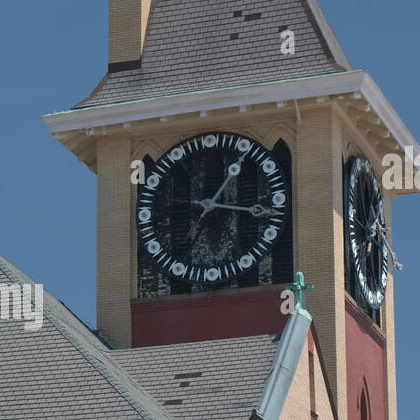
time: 1:17
